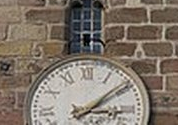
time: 3:08
